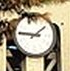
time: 1:46
